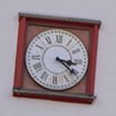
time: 3:21
